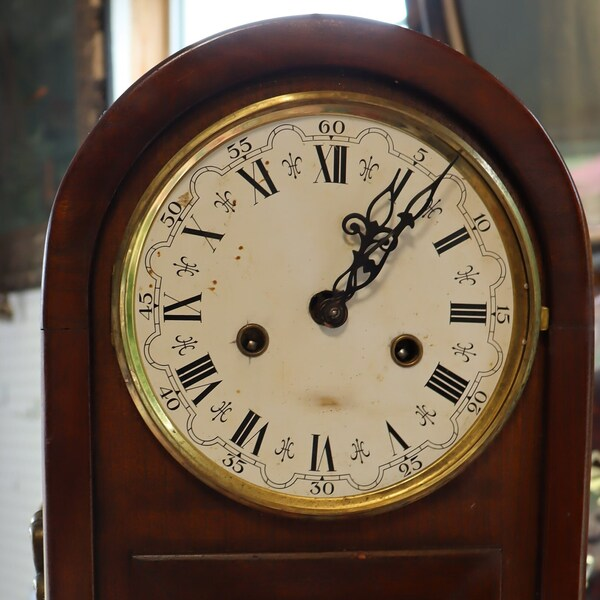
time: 1:07
